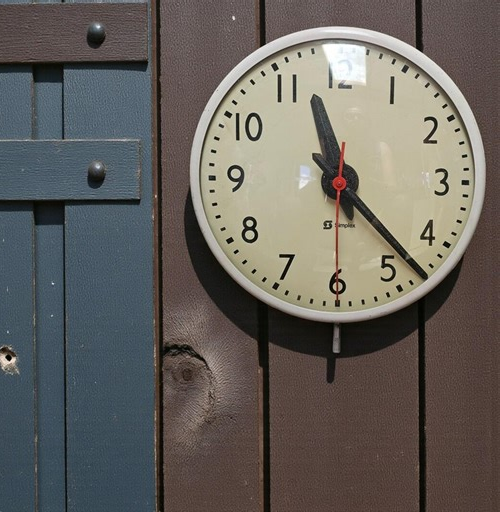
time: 11:22
